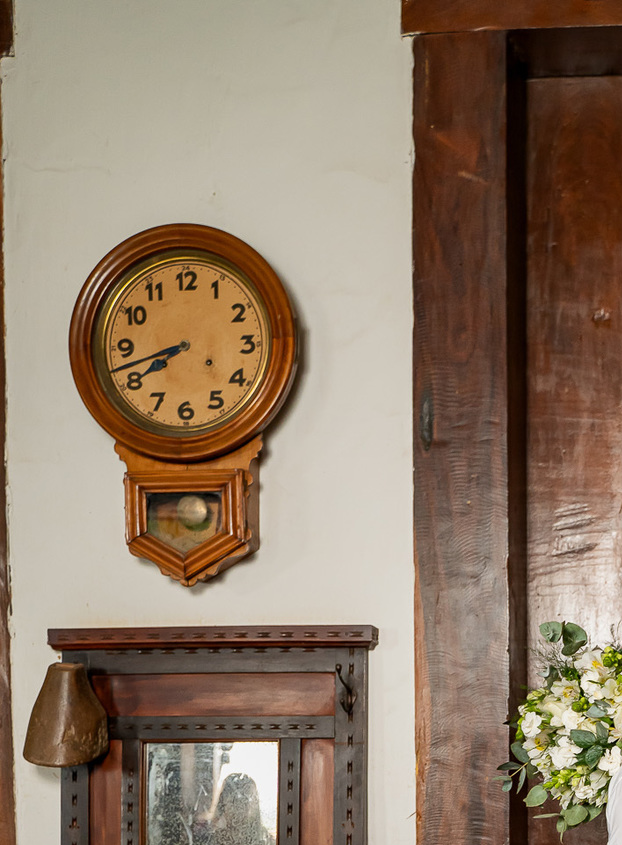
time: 7:41
